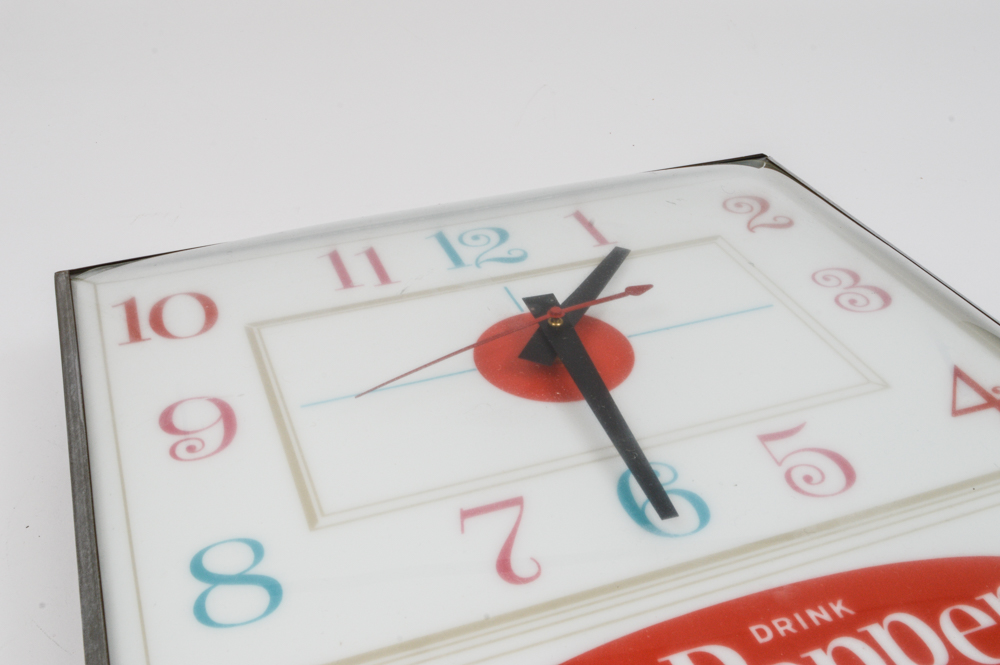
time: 1:30
